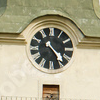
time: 4:23
